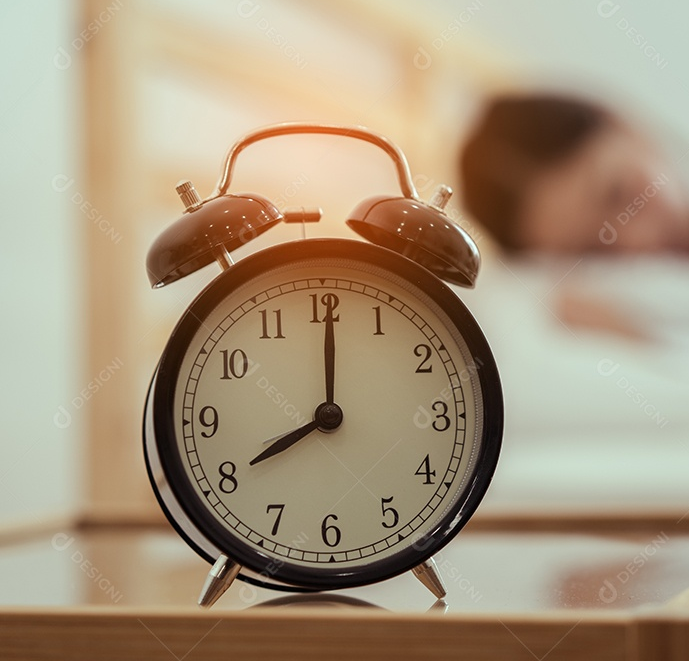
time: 8:00
